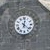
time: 12:21
